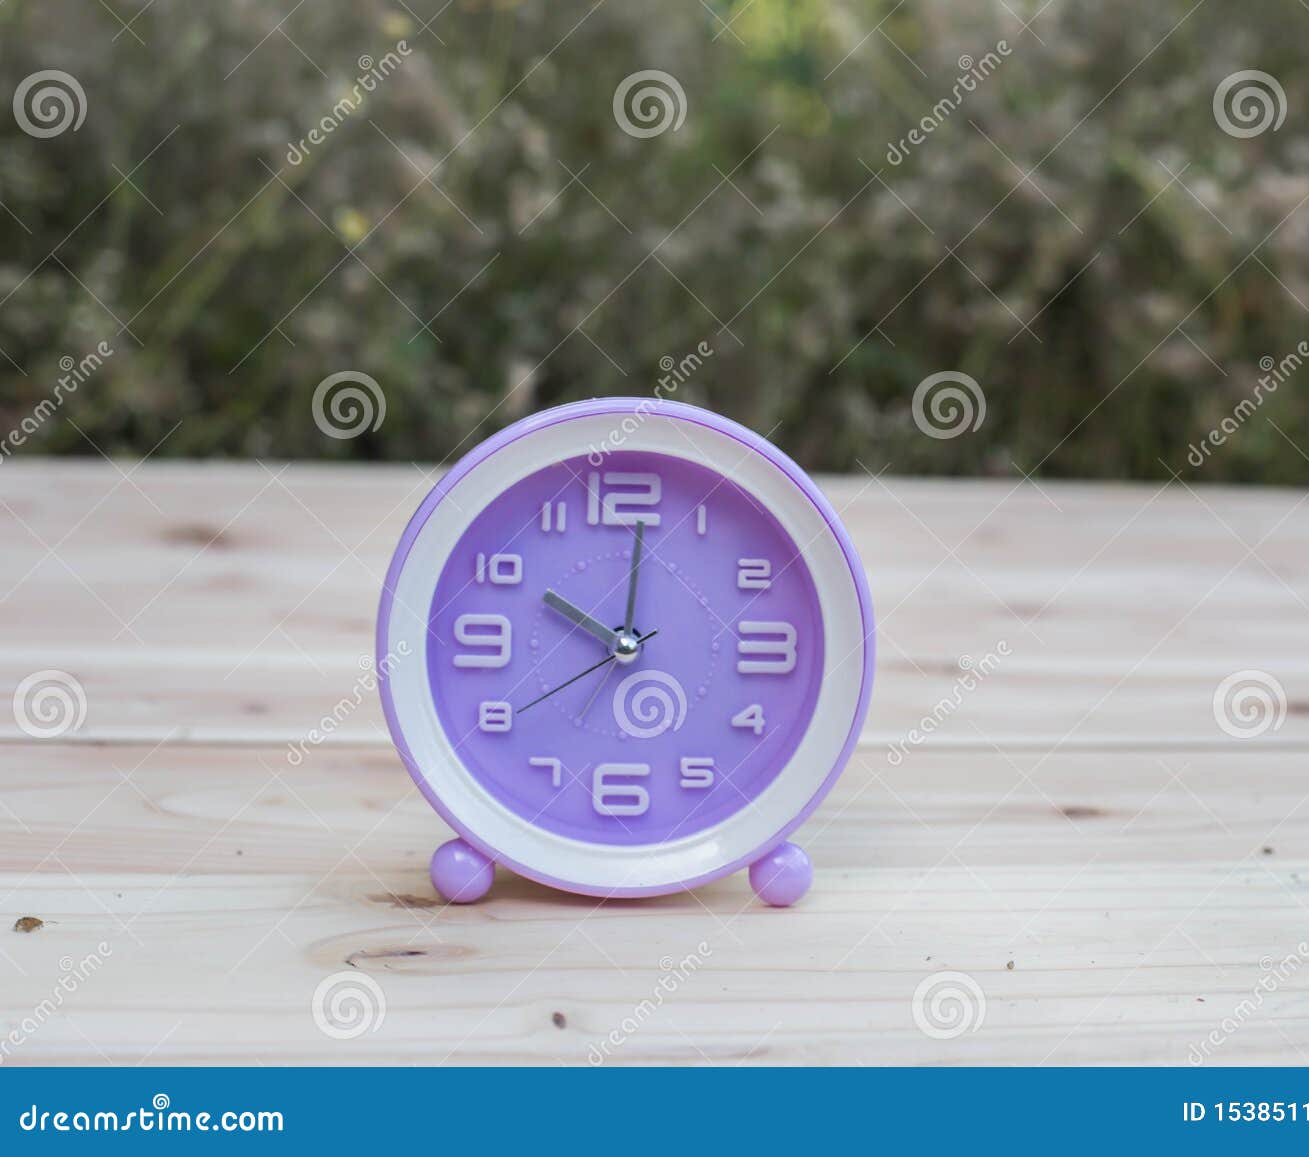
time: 10:01
